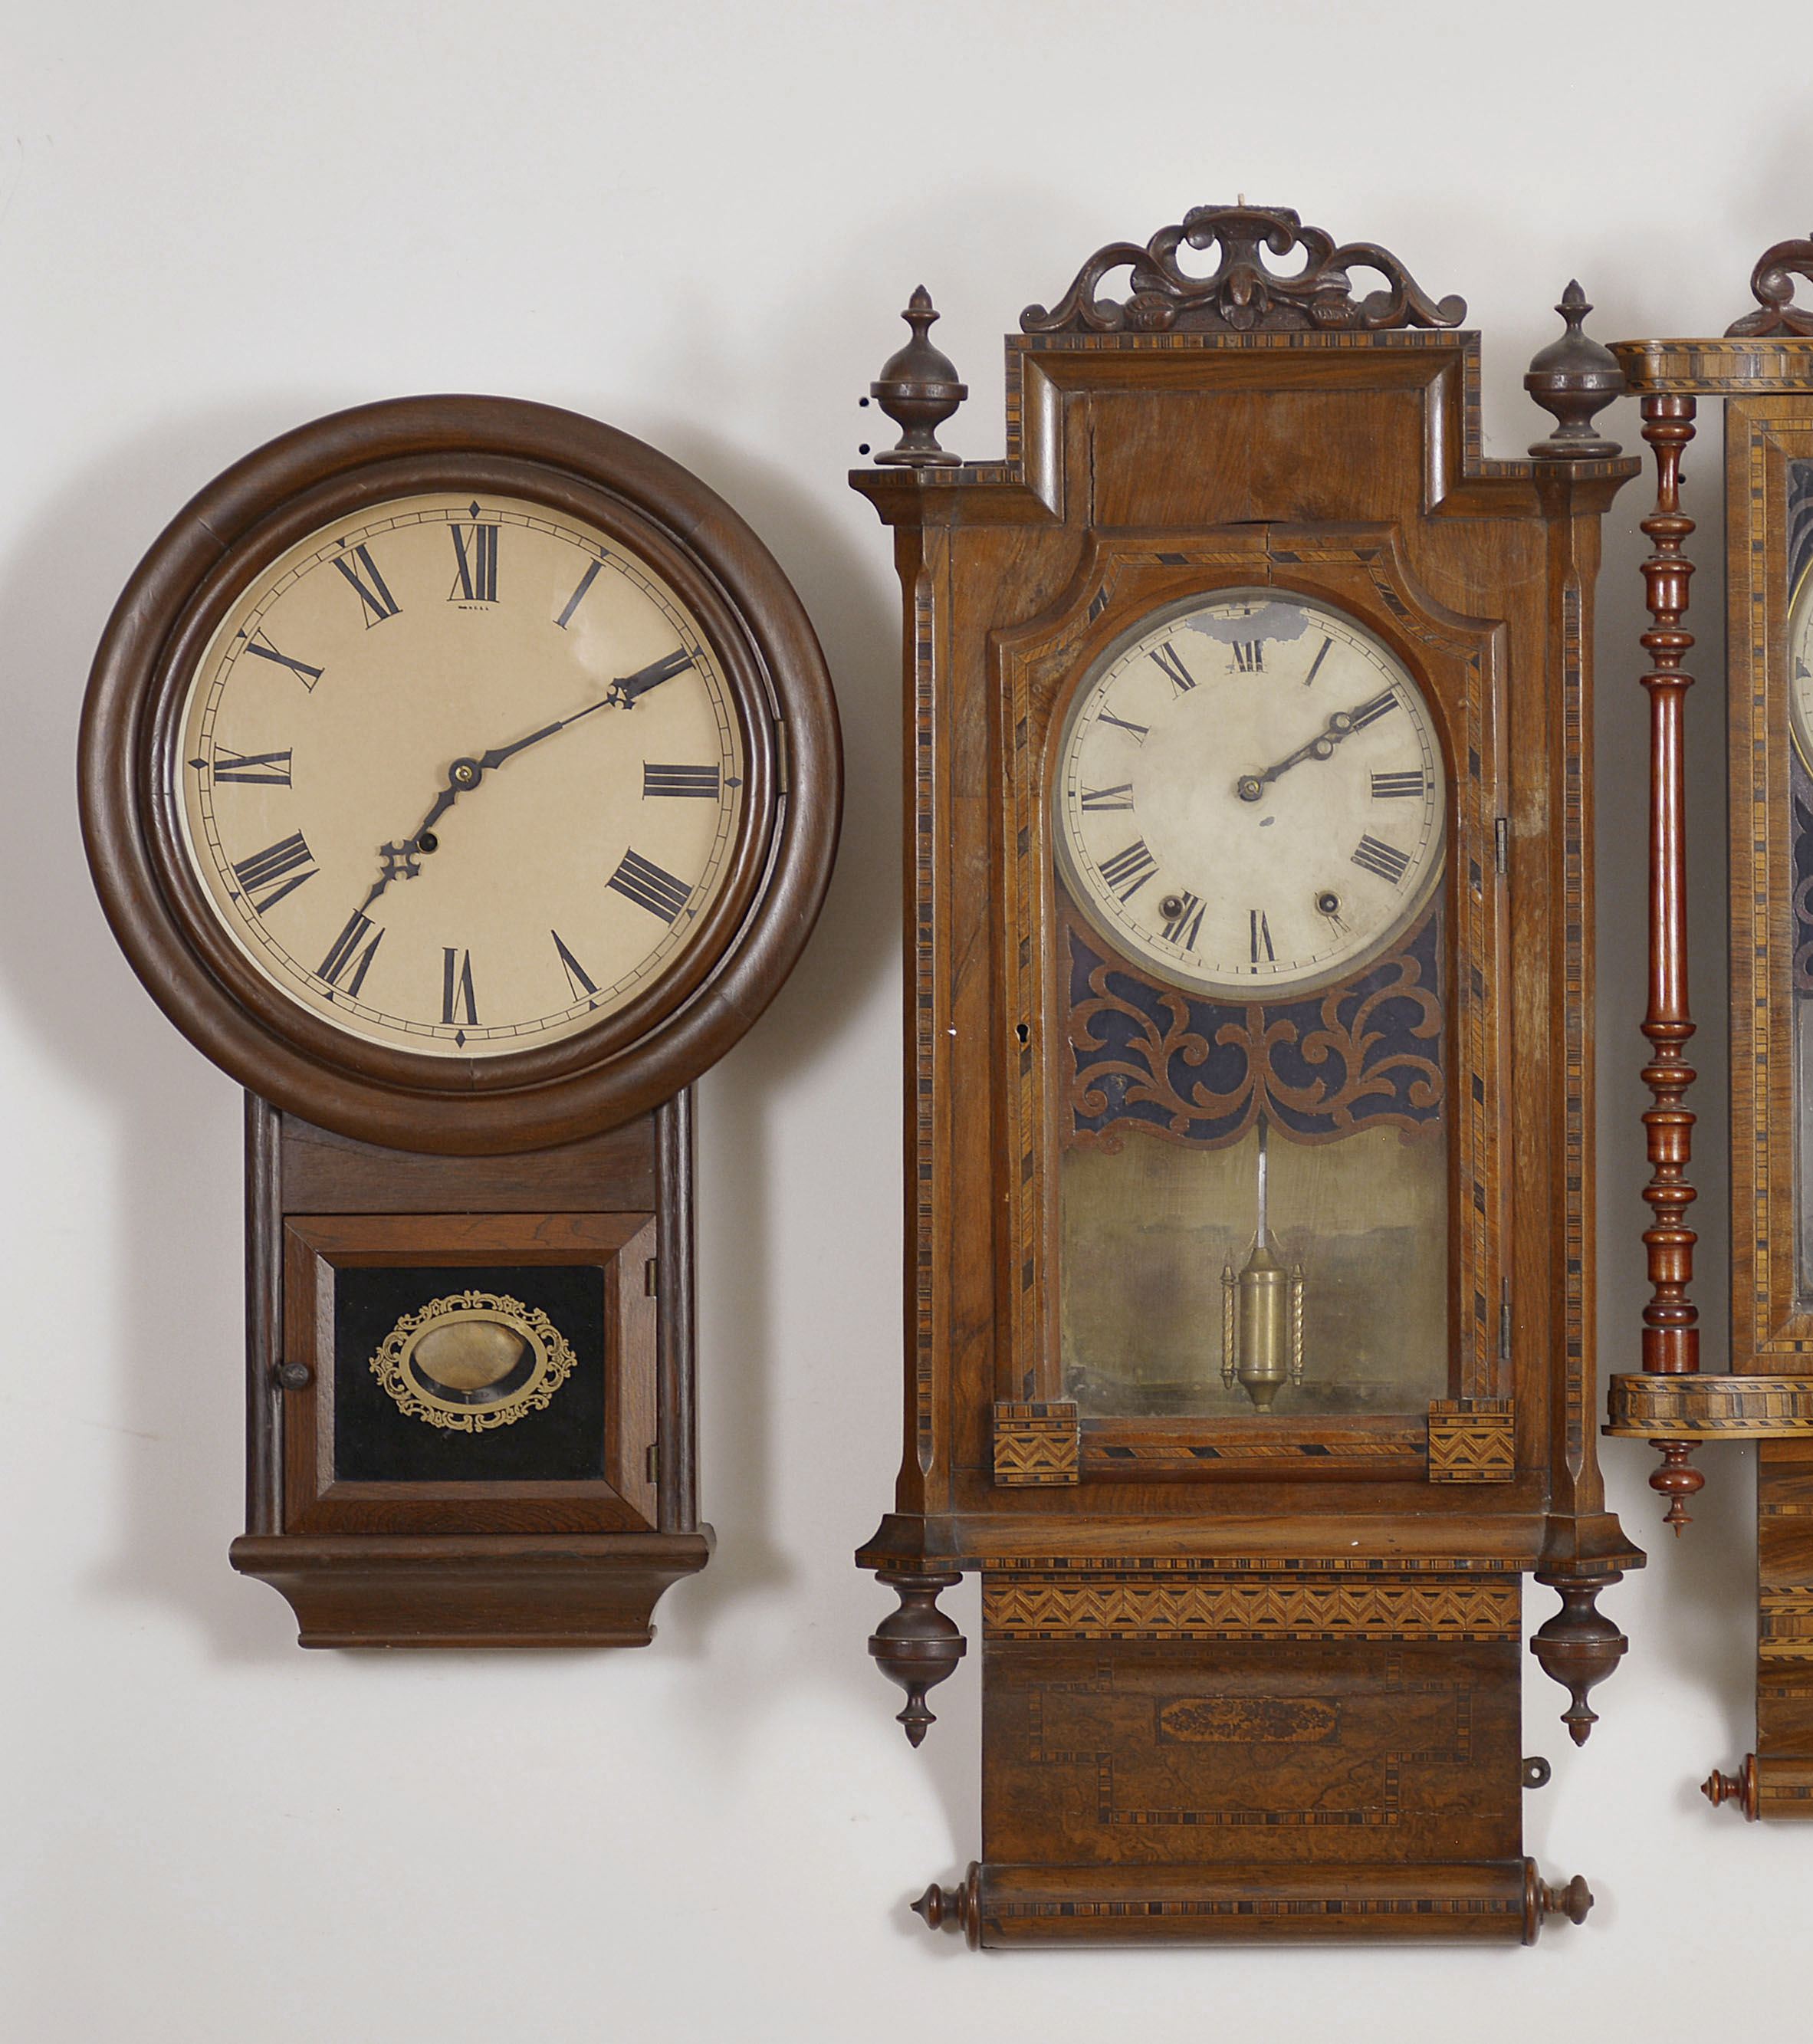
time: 7:09
